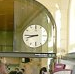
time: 8:45
